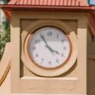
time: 3:54
